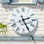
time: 2:25
